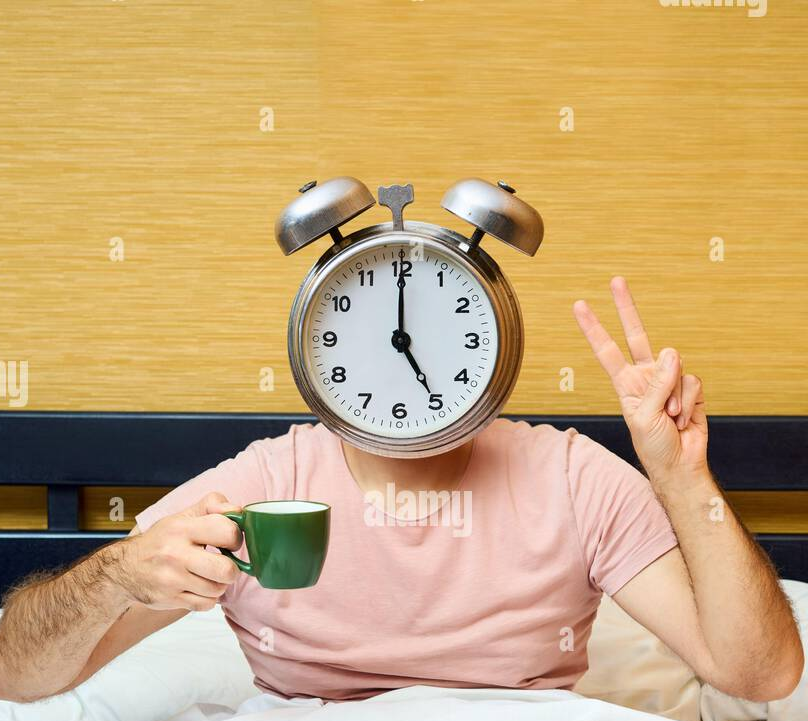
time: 5:00
